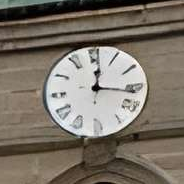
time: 12:16
